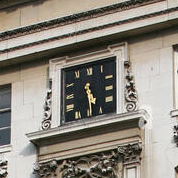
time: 5:29
